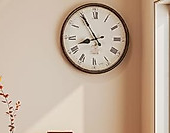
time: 8:54
